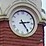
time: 2:24
